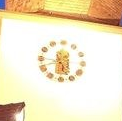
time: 5:41
